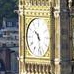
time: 10:28
